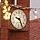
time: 9:25
